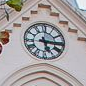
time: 5:15
